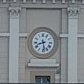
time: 8:28
